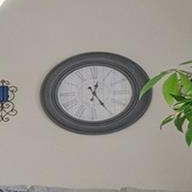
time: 12:24
